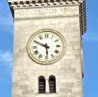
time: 5:49
